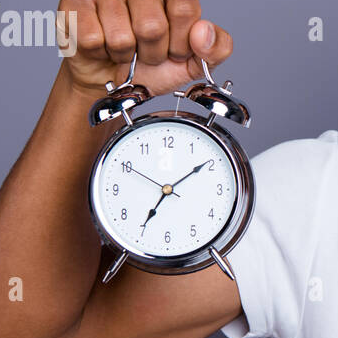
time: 7:09
